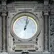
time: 1:02
